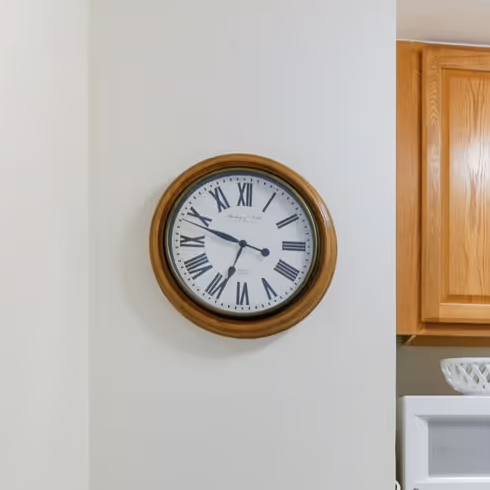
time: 9:33
